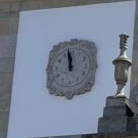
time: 11:58
